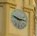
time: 2:48
